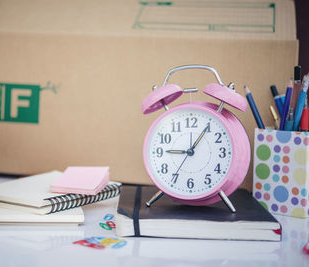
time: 9:05
